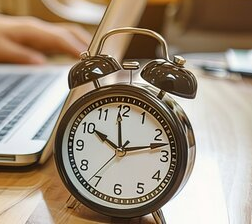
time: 10:12
